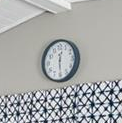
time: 12:29
